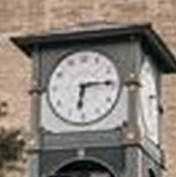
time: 6:14
